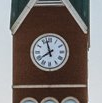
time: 7:57
